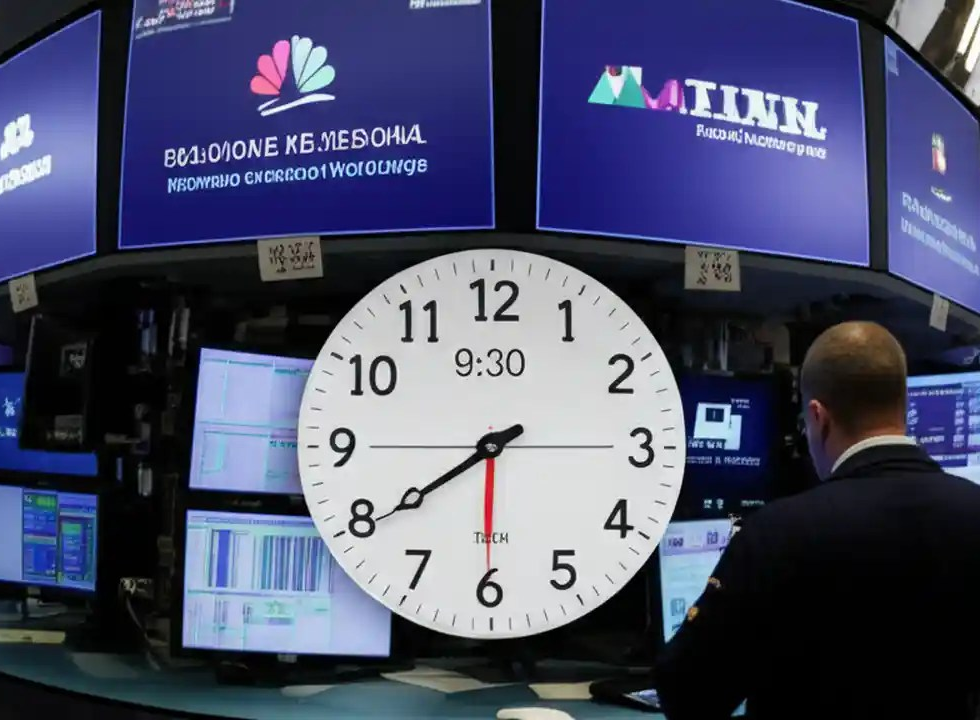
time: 7:39
